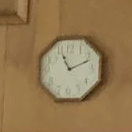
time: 11:11
